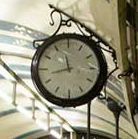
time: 11:42
